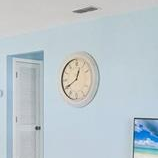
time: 12:40
